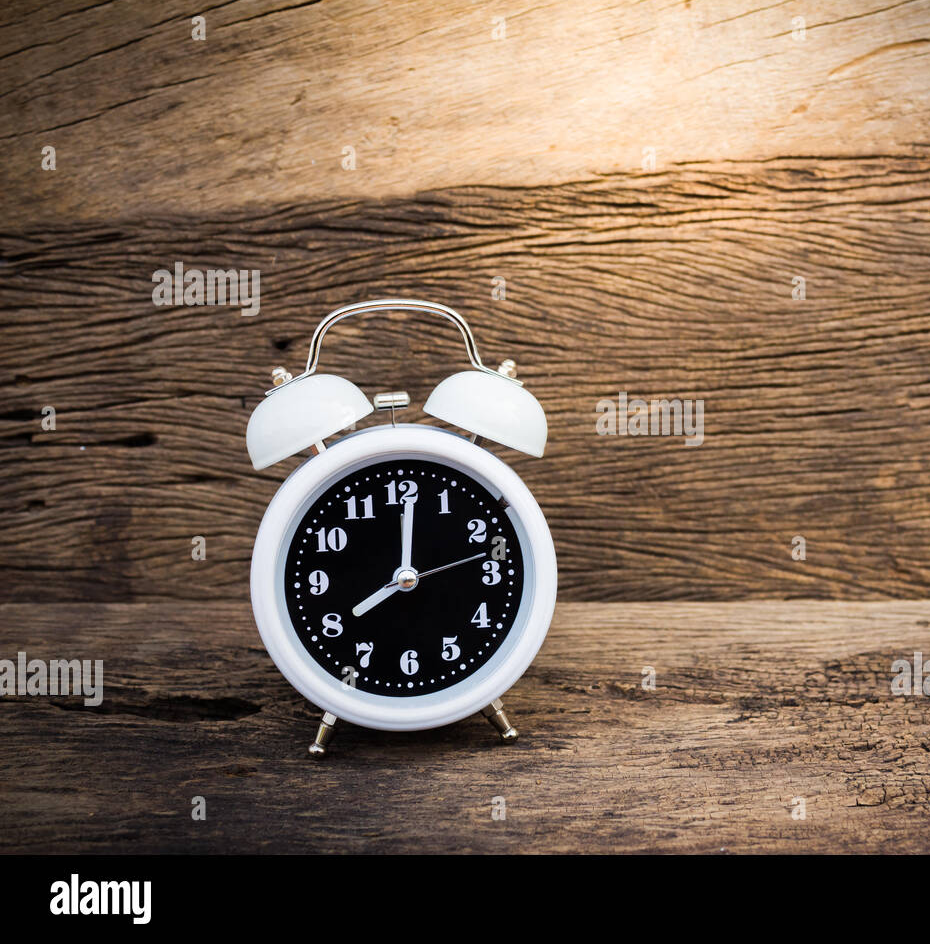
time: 8:01
